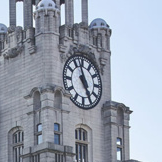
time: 4:57
